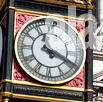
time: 11:19
